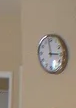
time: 2:58
